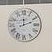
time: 12:11
